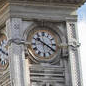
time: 10:20
